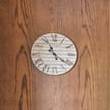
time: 11:21
